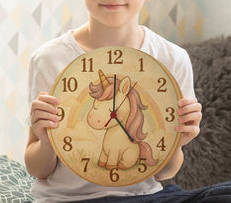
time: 12:23
